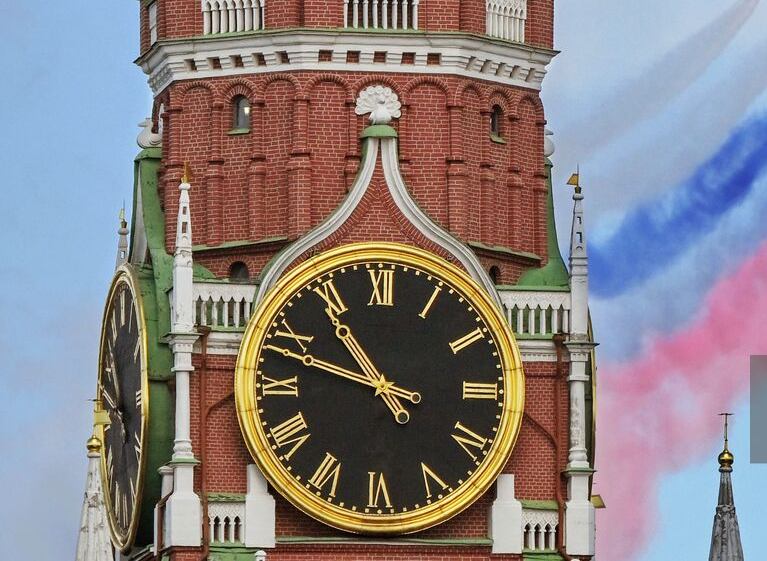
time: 10:48
